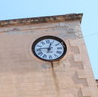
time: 12:46
